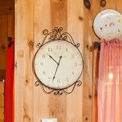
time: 10:33
